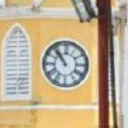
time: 10:53
